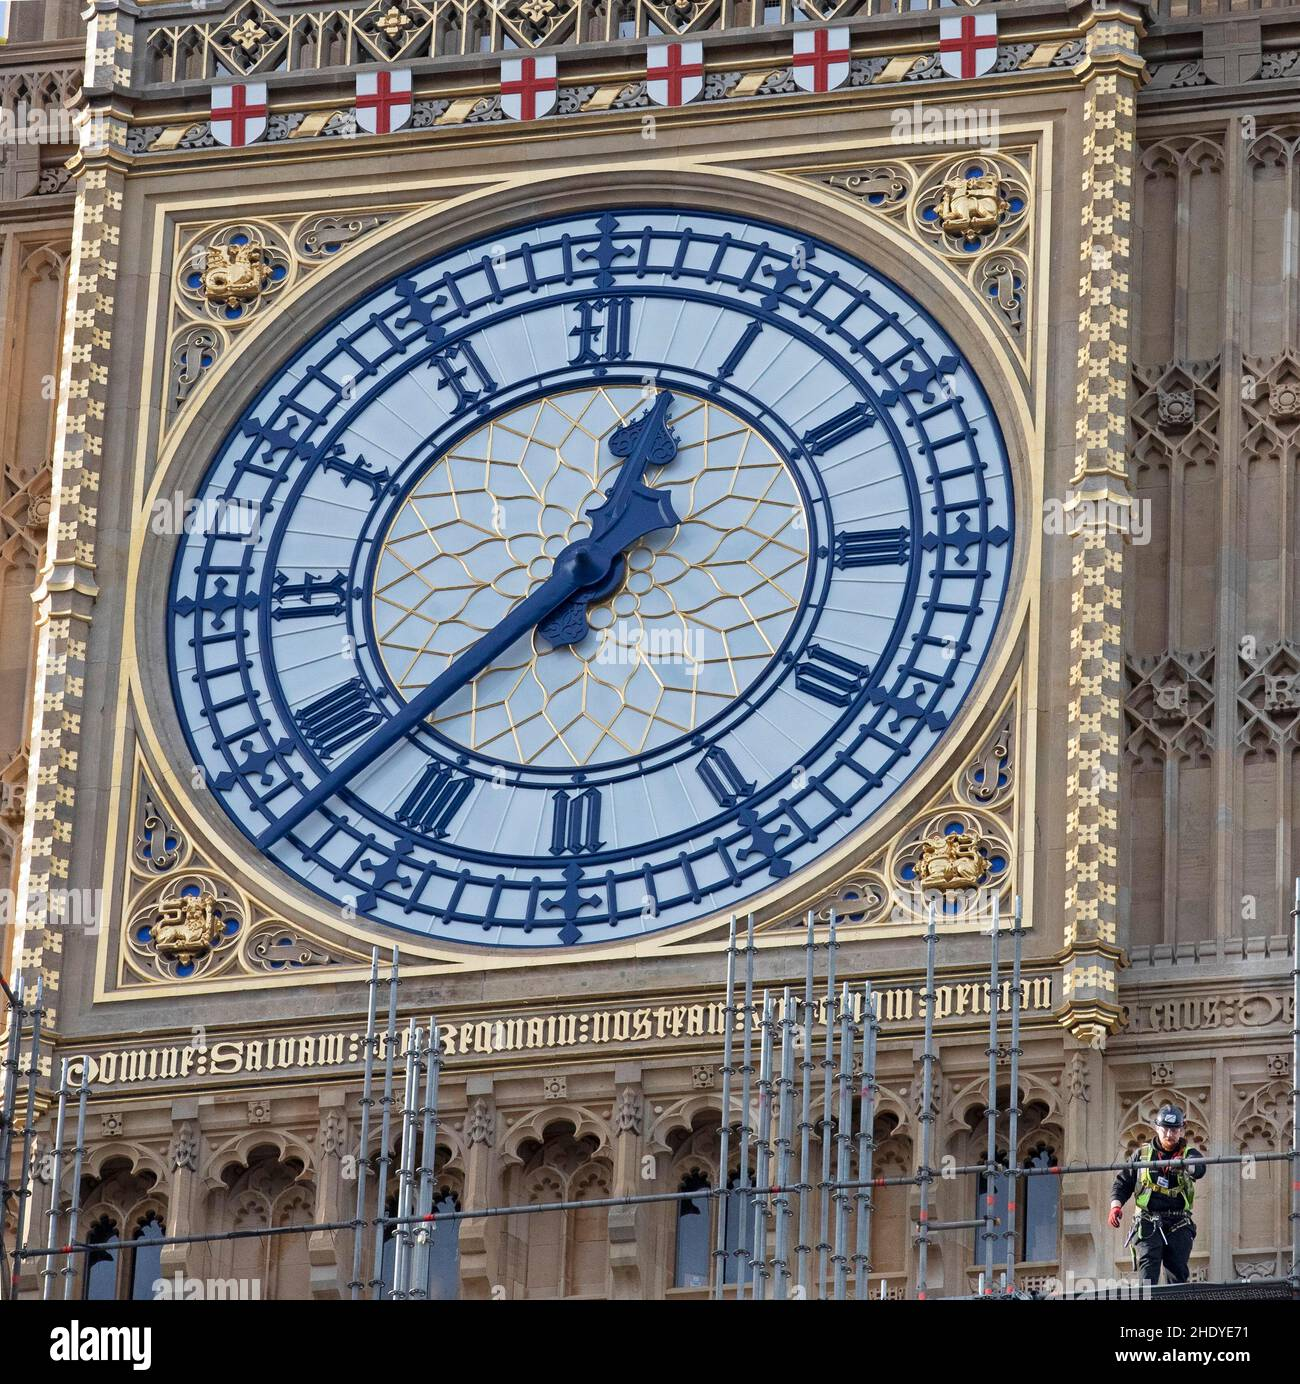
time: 12:37
